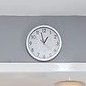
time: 12:57
